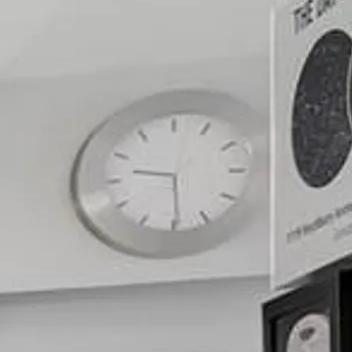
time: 9:29
